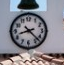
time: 8:22
